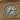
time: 7:15
